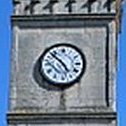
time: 4:52
